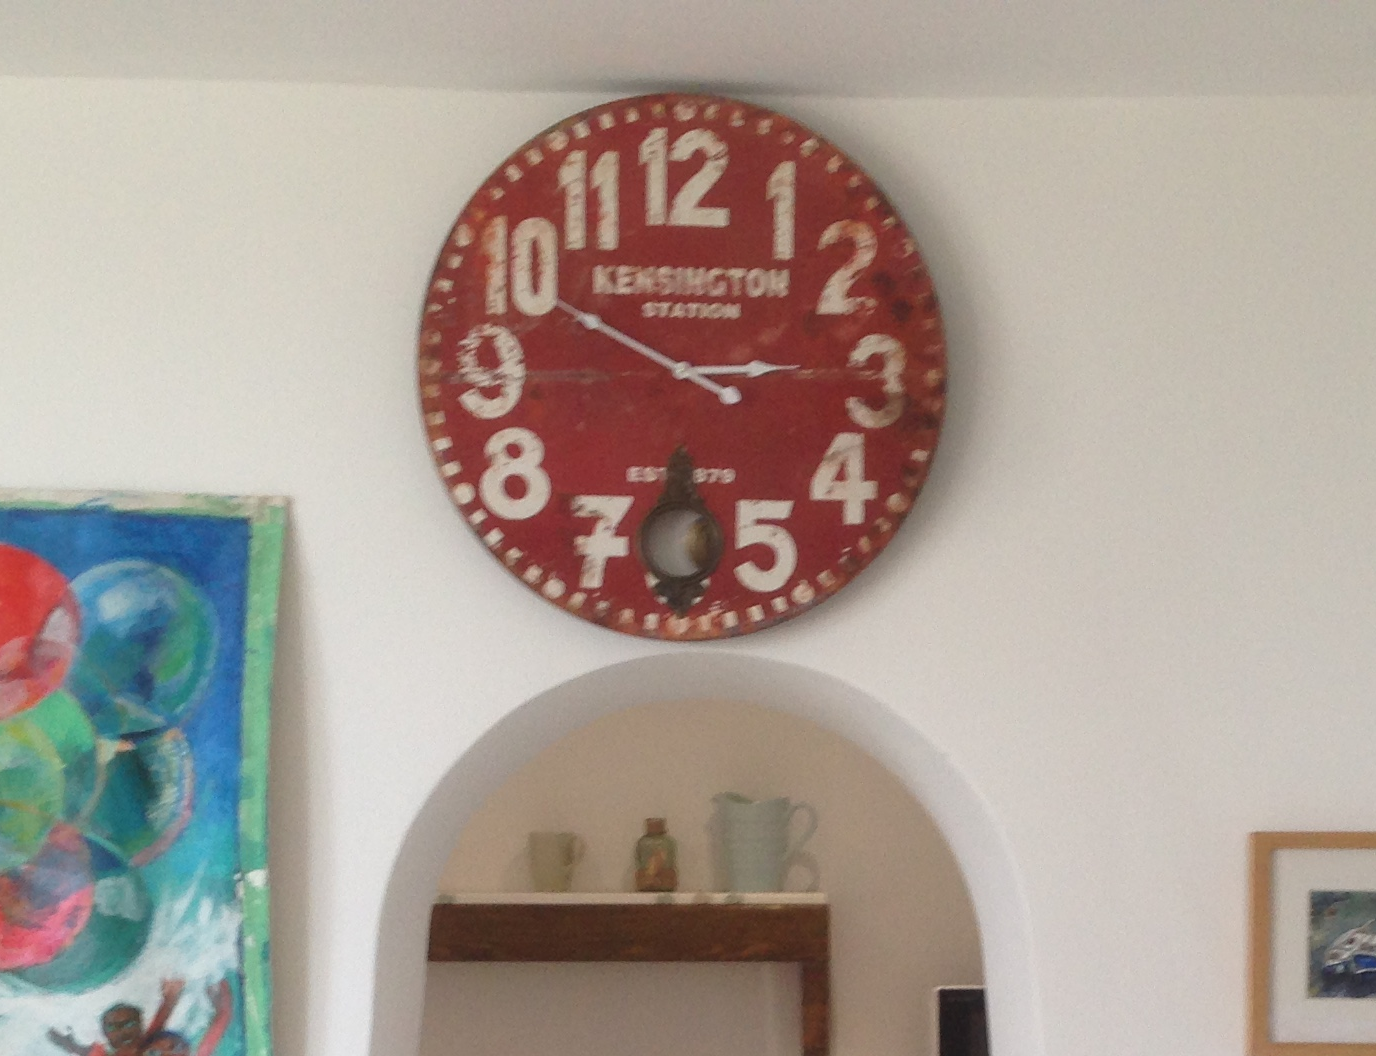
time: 2:49
